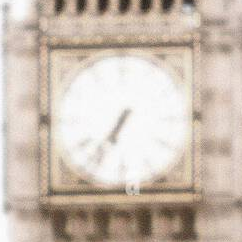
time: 6:36
